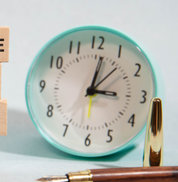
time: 3:01
